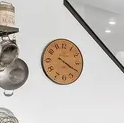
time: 4:19
